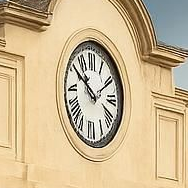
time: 1:50
